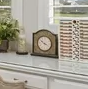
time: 3:51
